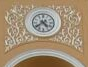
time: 4:38
